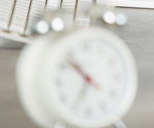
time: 10:34
